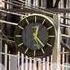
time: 12:23
